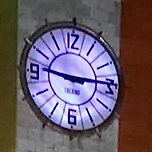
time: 9:14
